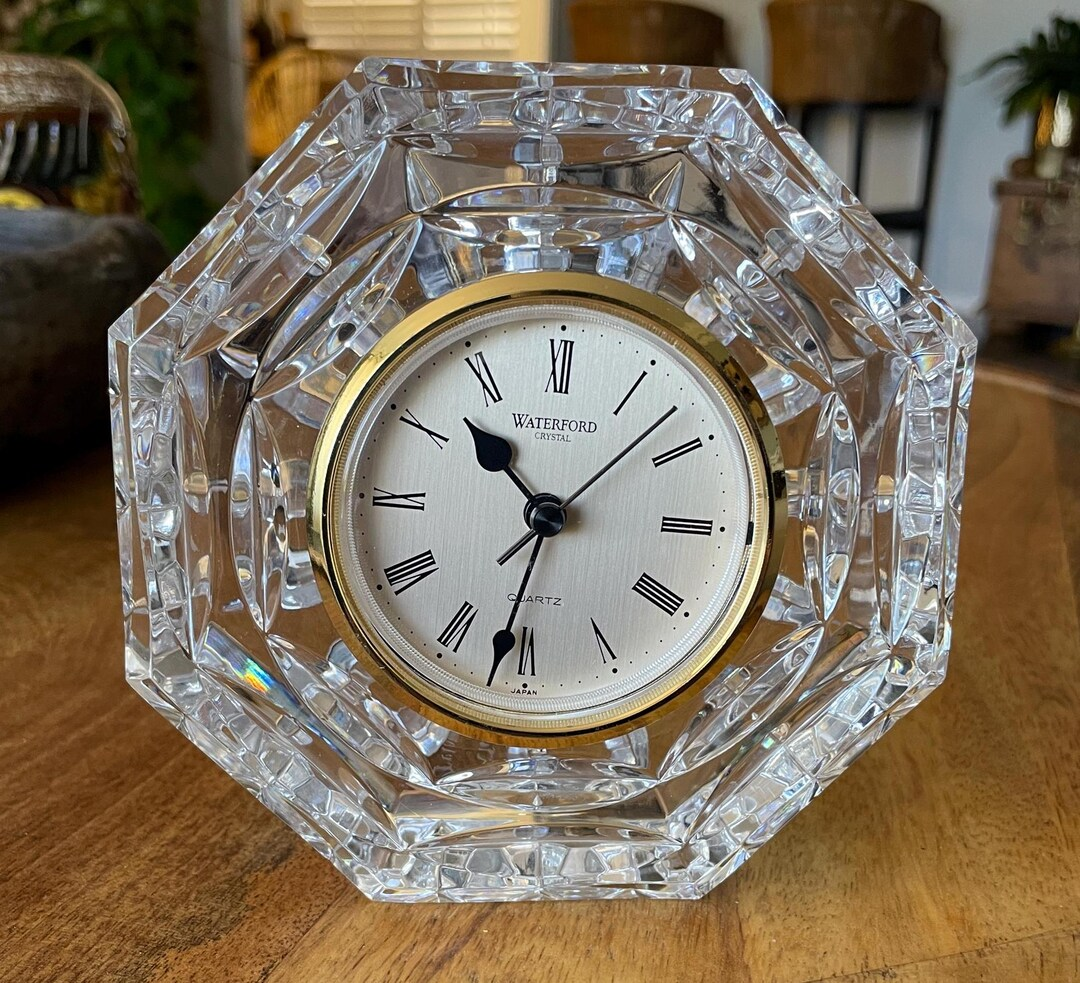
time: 10:32
